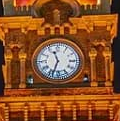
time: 11:33
